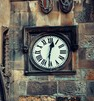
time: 12:30
